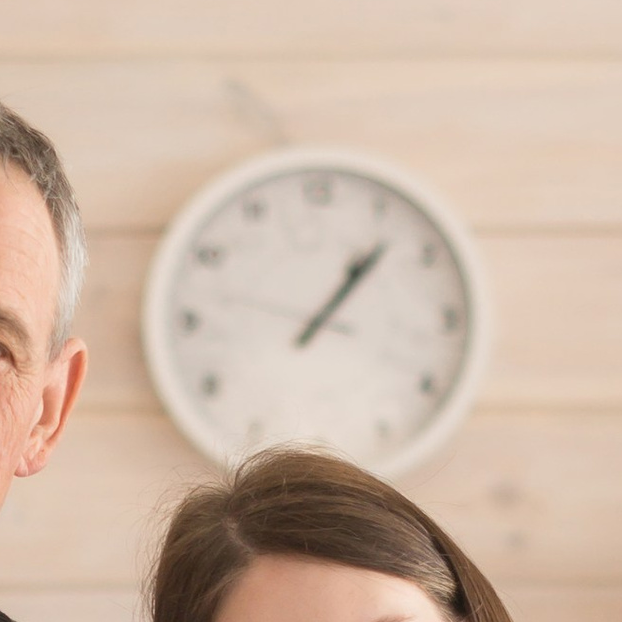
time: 1:07
